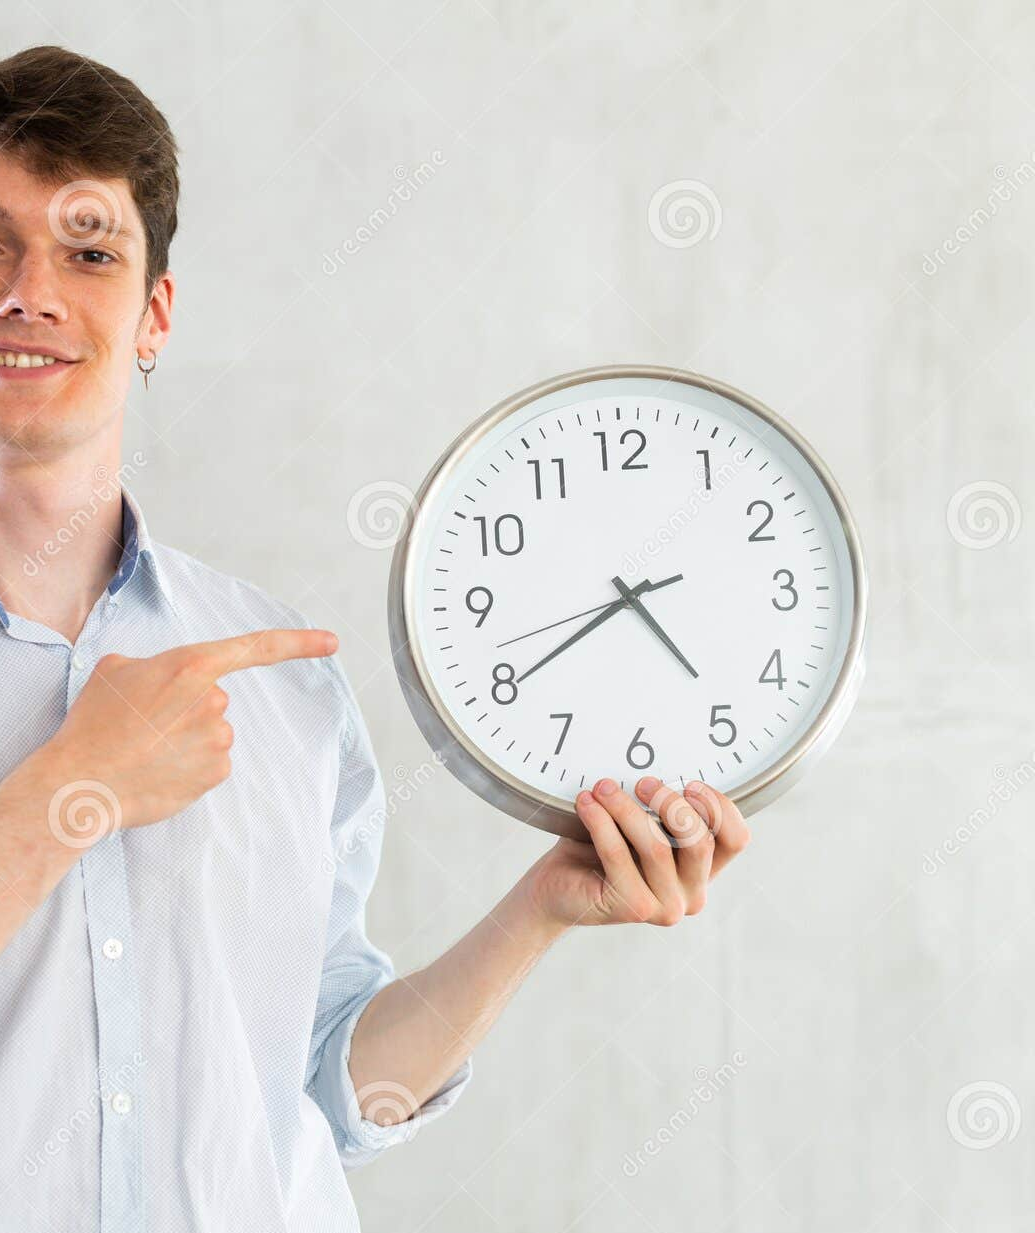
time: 4:39
